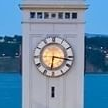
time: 6:16
